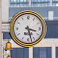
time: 3:27
